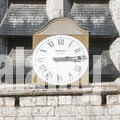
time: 3:13
